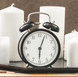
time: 6:03
